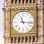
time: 11:16
